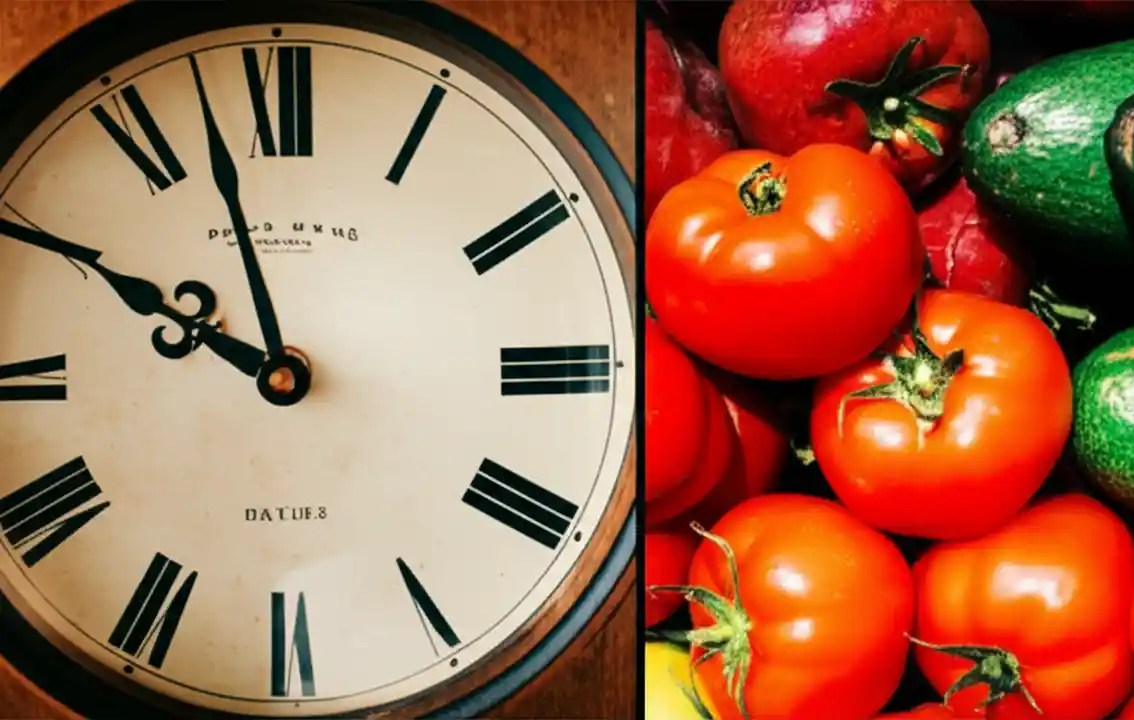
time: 9:57
